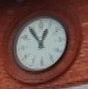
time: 12:54
